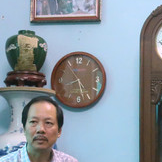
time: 8:27
